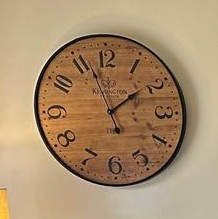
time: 1:56
